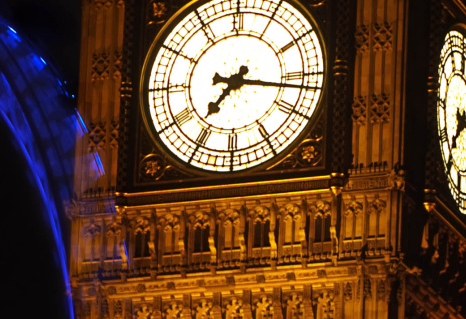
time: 7:16
